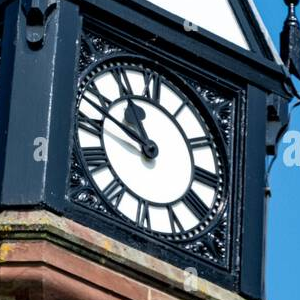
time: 10:47
